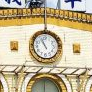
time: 10:56
